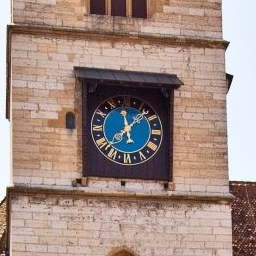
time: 12:07
